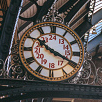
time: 10:19
